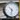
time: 10:32
